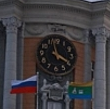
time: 3:57
